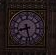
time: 8:28
